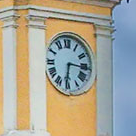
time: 6:15
